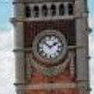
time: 1:51
